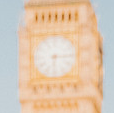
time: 6:14
